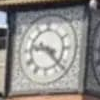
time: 9:22
